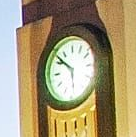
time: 5:51
